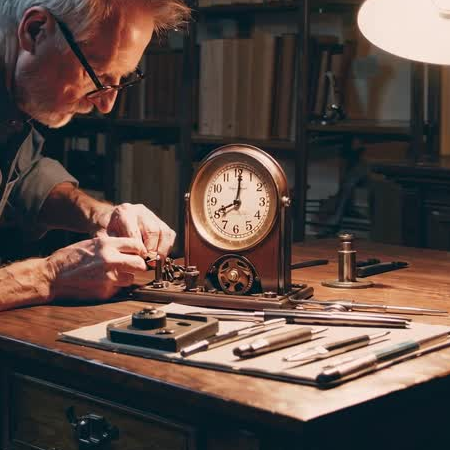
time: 8:01
